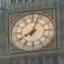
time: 8:03
